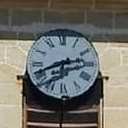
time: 2:42
